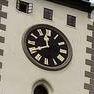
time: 11:40
